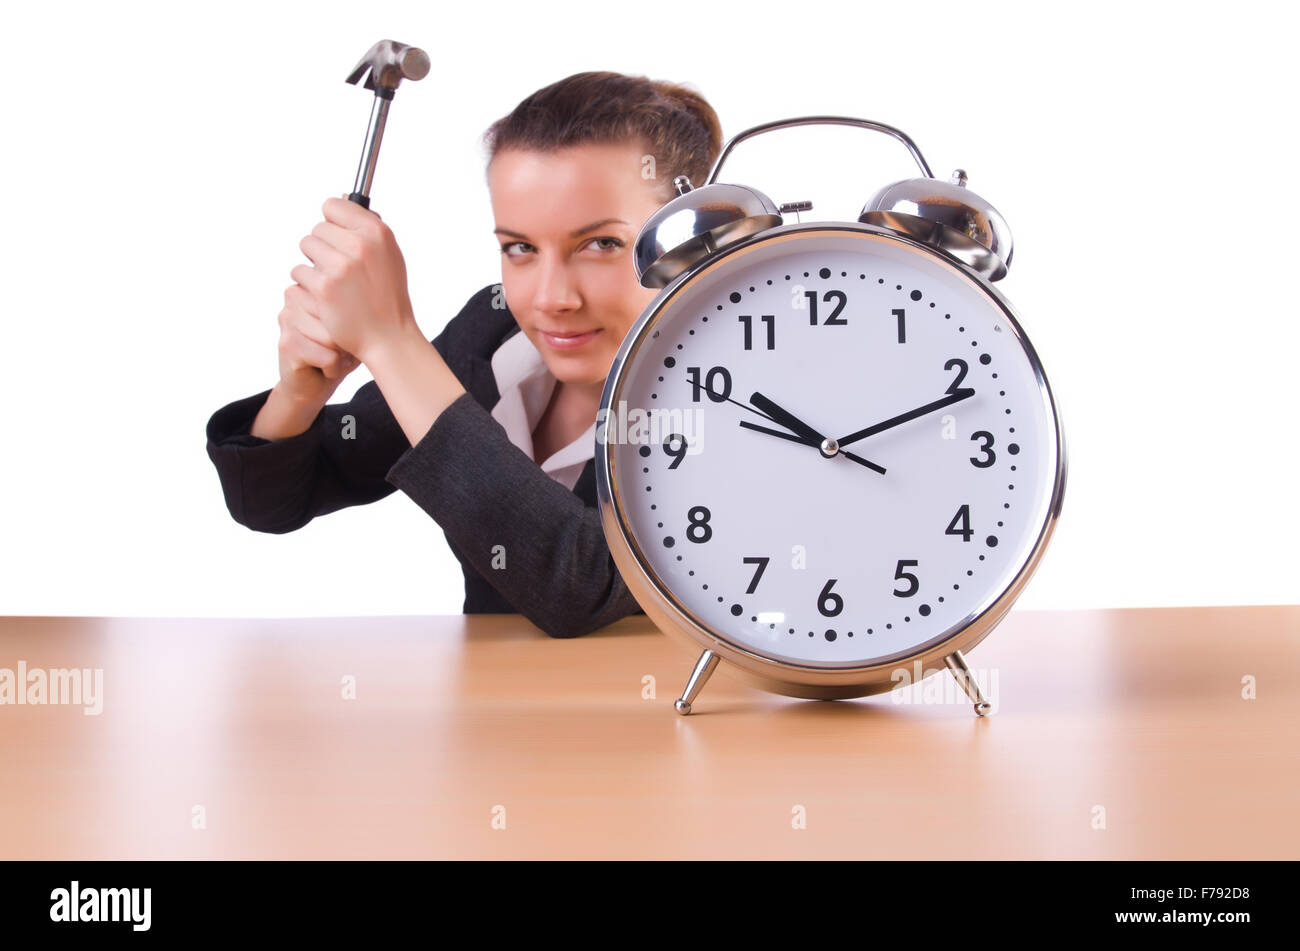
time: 10:11
